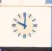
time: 10:00
